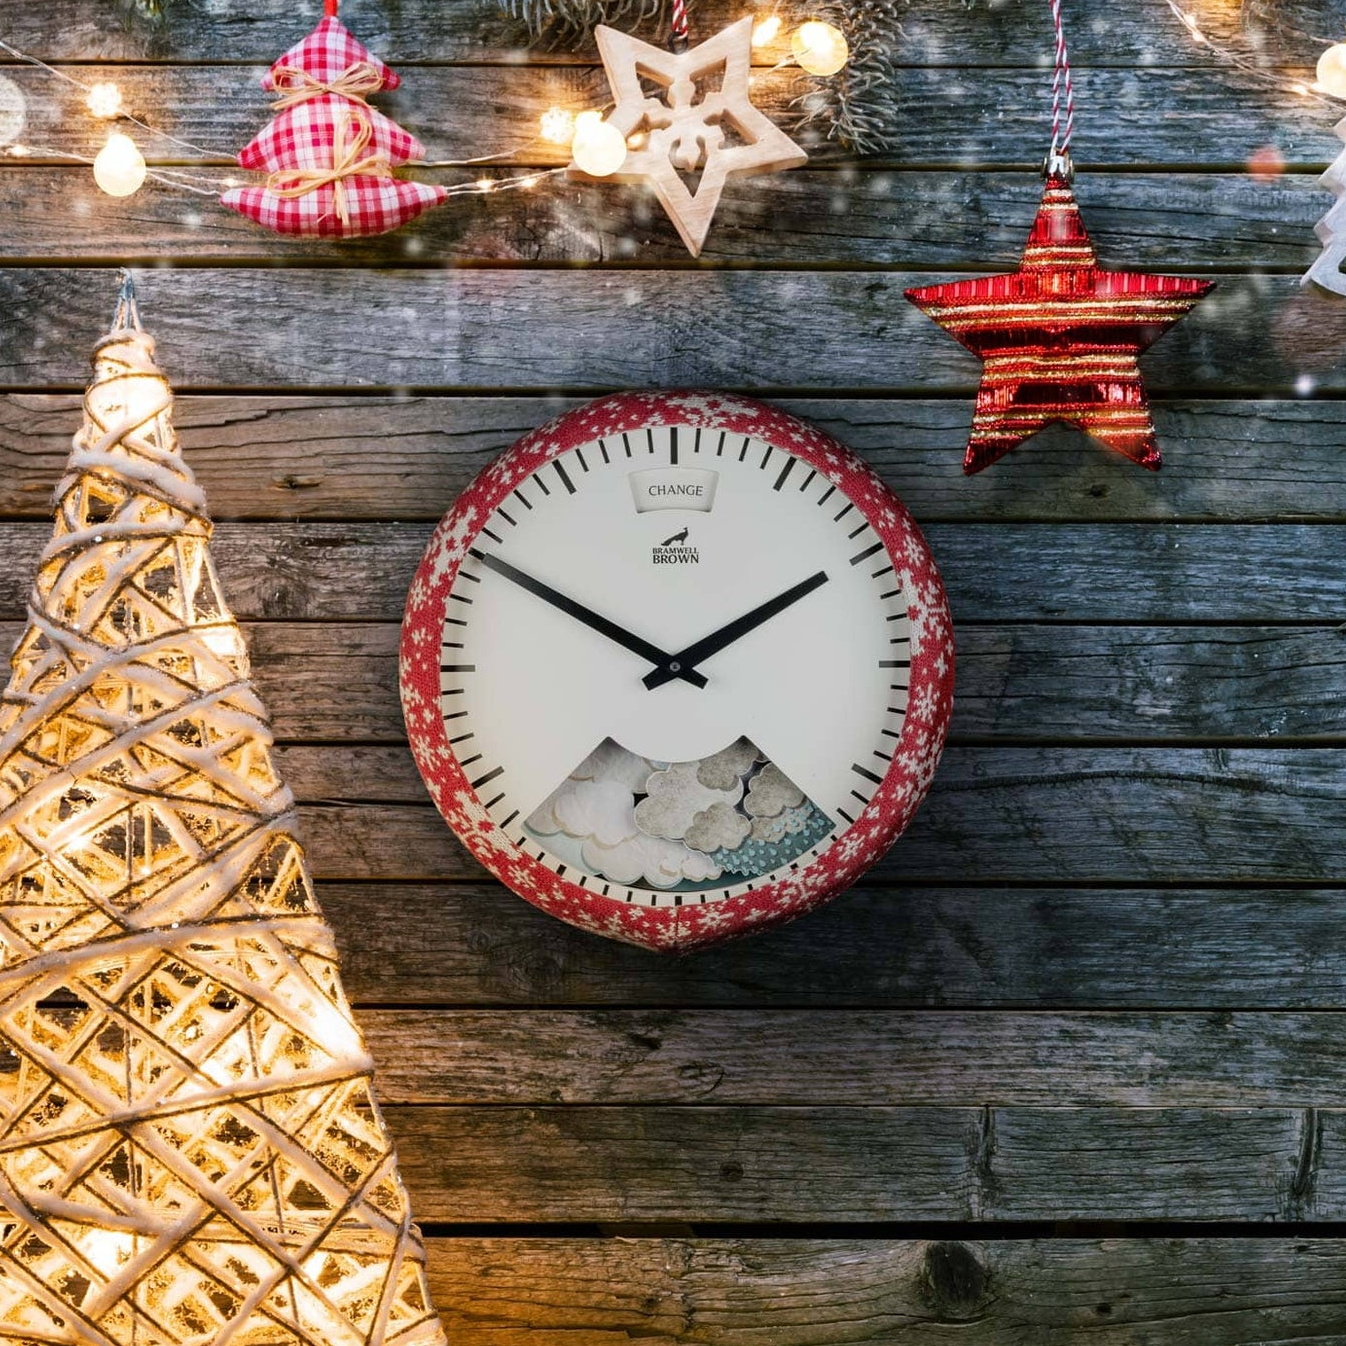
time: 1:50
